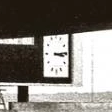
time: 3:14
